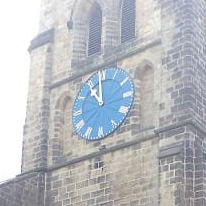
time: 10:59
